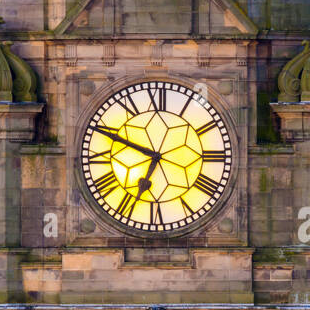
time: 6:48
